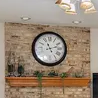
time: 11:12
